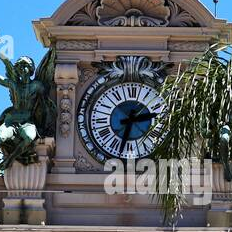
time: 2:32
